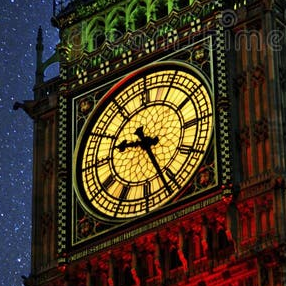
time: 9:26
